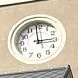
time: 2:58
